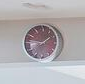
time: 1:47
